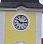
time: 10:14
